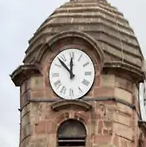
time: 11:52
